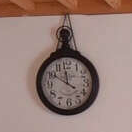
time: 11:50
